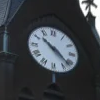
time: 10:21
